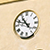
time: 10:48
